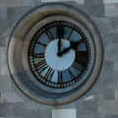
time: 2:00
